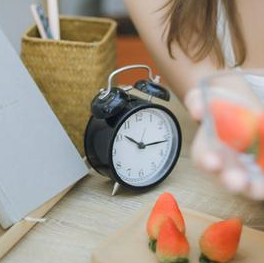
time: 10:15
